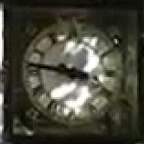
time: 3:46
